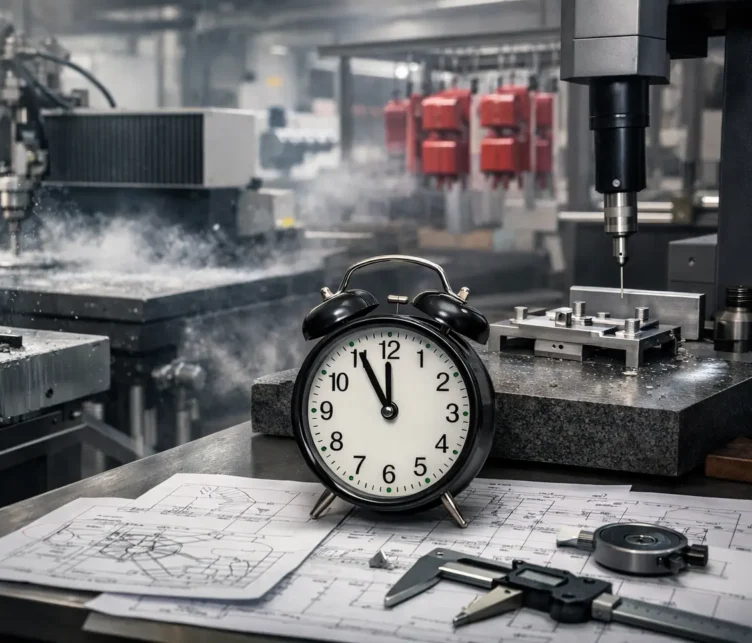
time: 11:55
